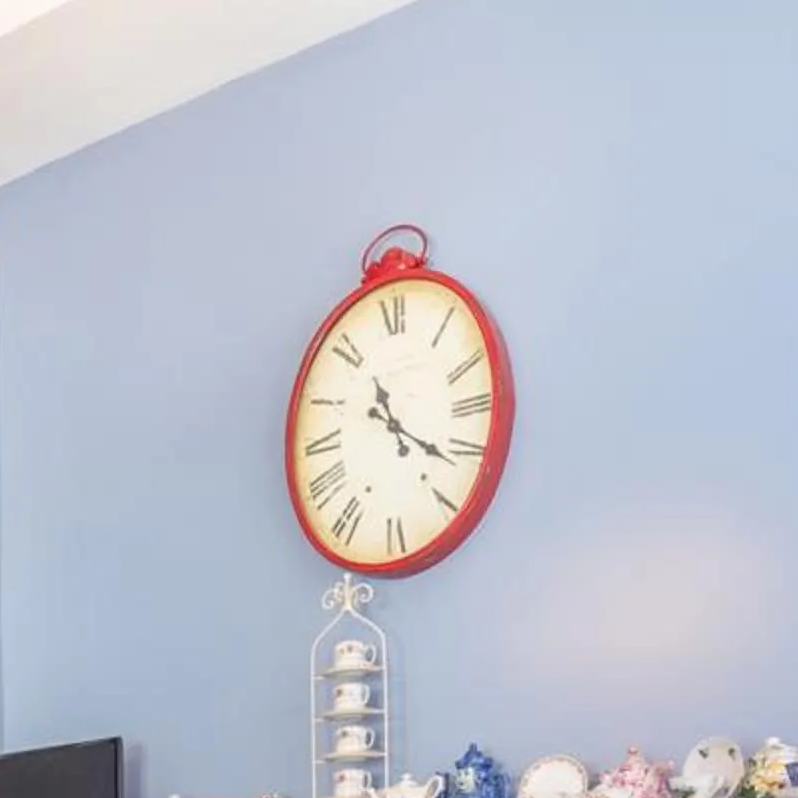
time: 11:21
